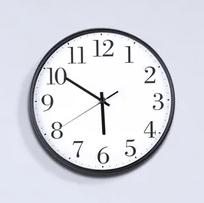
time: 5:50
